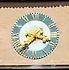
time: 3:37
